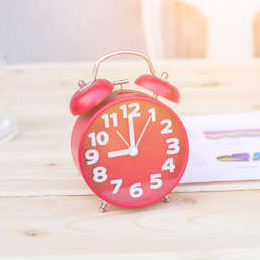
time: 9:00
